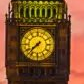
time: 7:37
